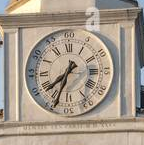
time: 7:33
